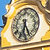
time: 6:25
